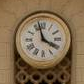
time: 3:57
